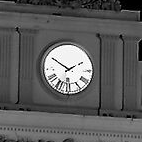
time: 1:50
